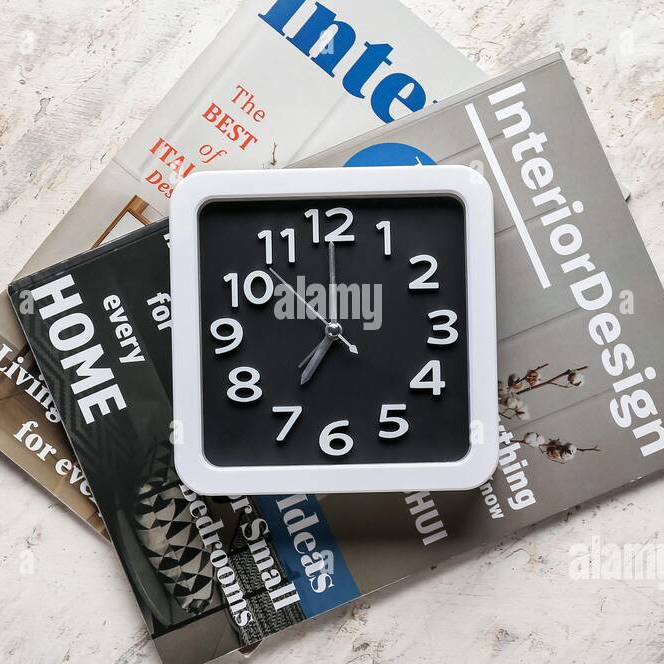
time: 7:00
